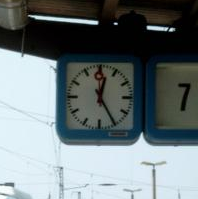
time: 12:24
